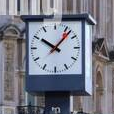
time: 10:07
